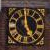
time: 4:59
